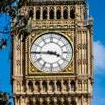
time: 3:45
